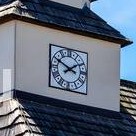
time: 1:49
